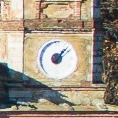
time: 1:07
